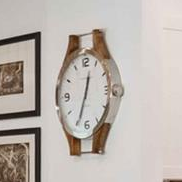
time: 12:34
